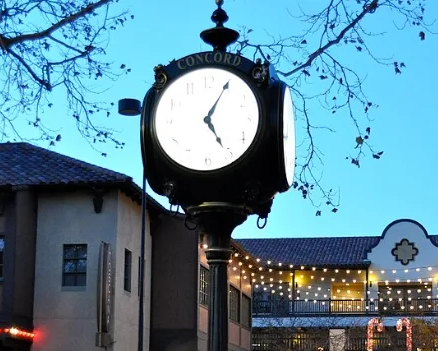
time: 5:04
